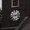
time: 2:42
